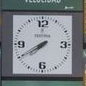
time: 7:40
